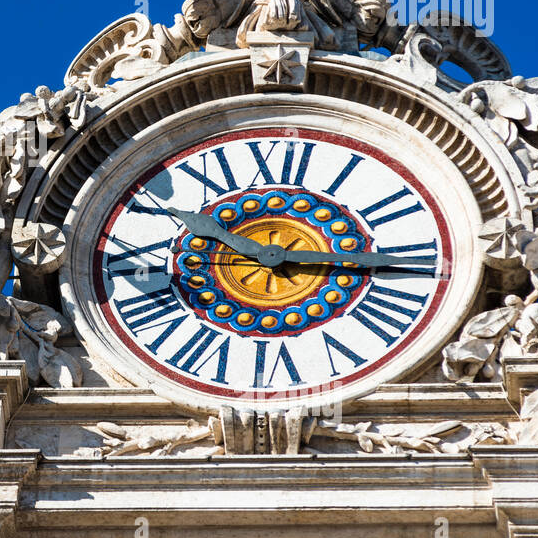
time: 10:15
